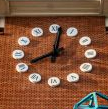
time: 8:01
